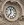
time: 11:36
